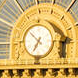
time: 6:52
